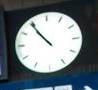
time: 10:54
